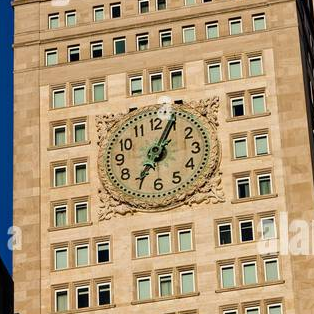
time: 7:04
